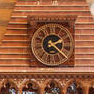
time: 2:21
